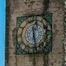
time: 12:28
